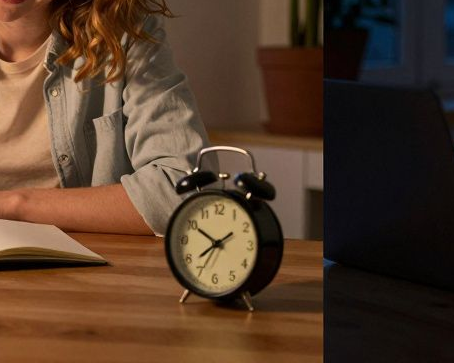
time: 1:50
